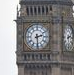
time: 2:29
